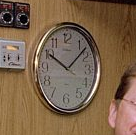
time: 10:07
